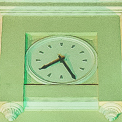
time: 7:25
